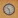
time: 10:28
